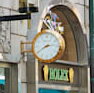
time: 2:40
